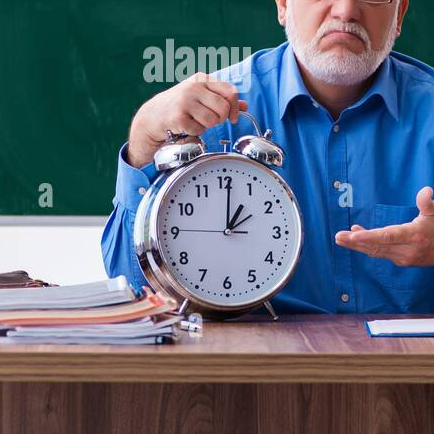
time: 1:00
